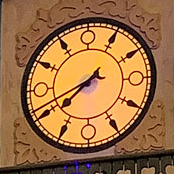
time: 7:41
